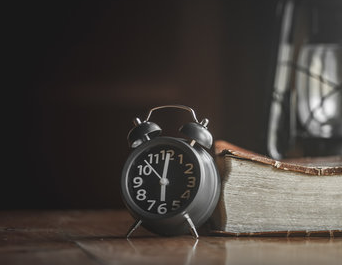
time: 6:00
